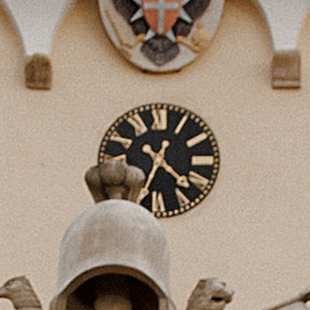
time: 4:34
